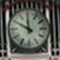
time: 11:49
